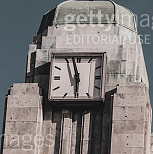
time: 5:57
